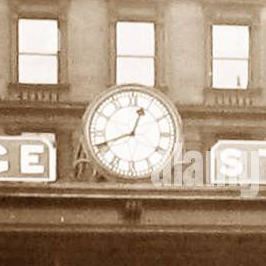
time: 12:41
